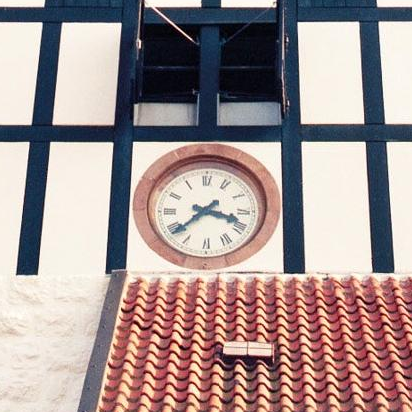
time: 3:38
